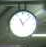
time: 11:07
